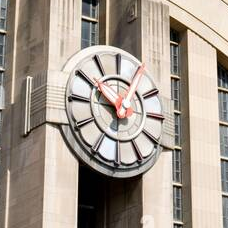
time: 9:50
